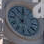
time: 10:00
